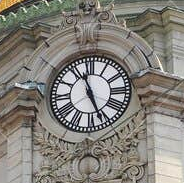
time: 11:26
